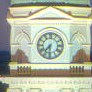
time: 7:30
